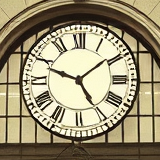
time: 4:48
